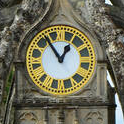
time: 12:54
